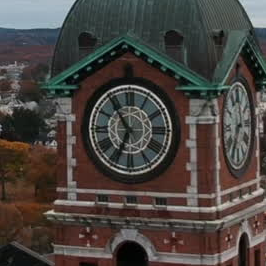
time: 6:54
